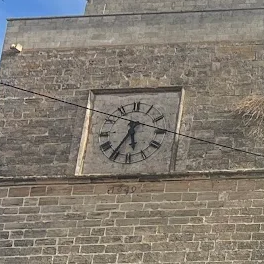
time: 5:35
